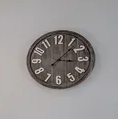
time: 3:07
